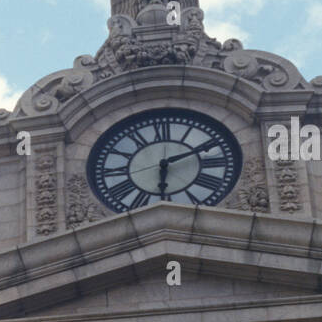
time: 6:10
